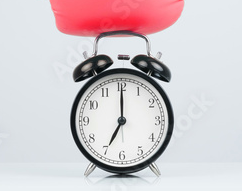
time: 7:00
